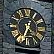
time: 7:04
